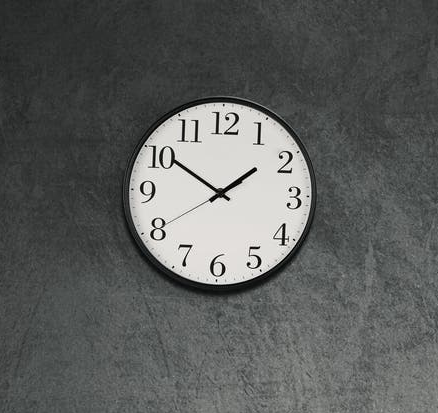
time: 1:50
